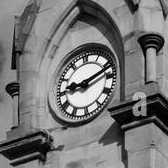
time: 9:11
